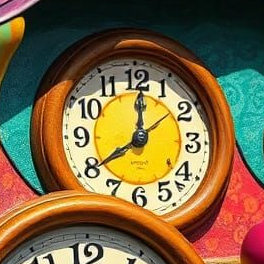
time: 8:00
